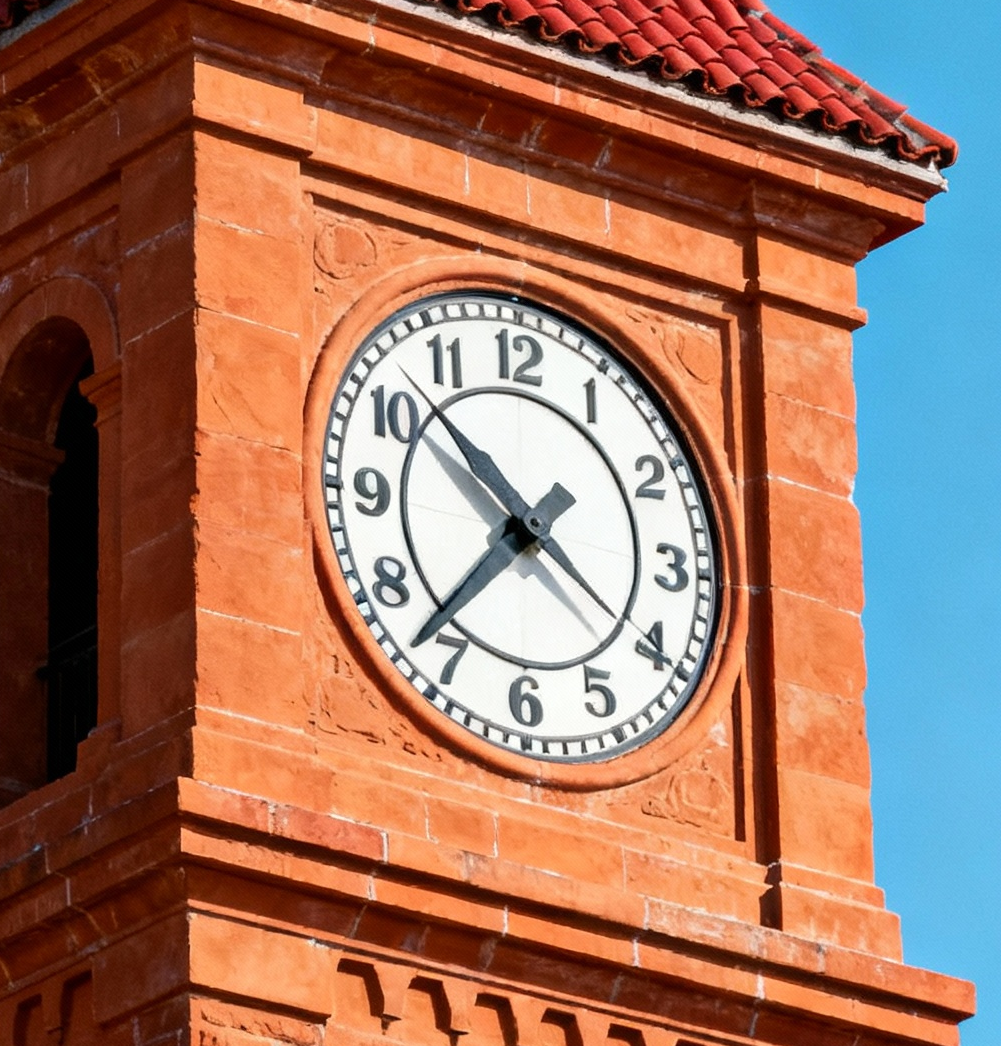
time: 10:37
